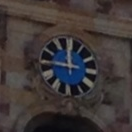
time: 11:45
